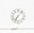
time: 7:07
